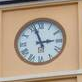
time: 2:56
